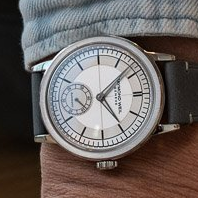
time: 1:24
